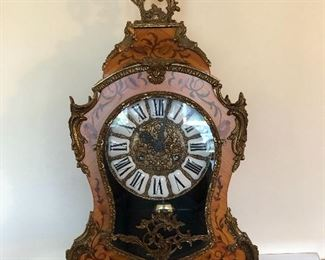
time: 10:02
